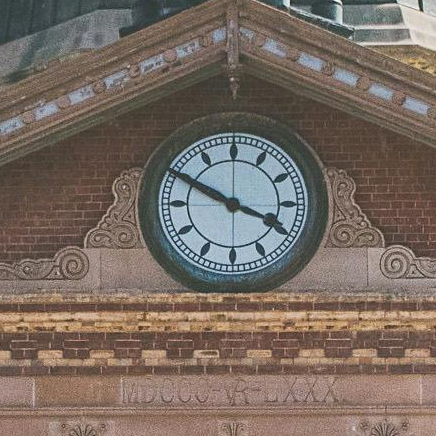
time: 3:49
